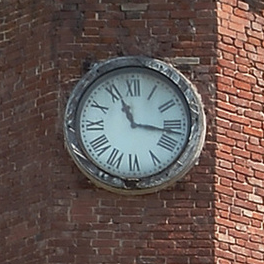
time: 11:16
